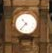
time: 10:37
